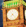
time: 7:24
